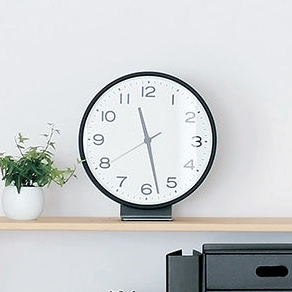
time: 11:28
